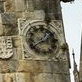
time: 1:39
